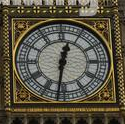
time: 12:31
